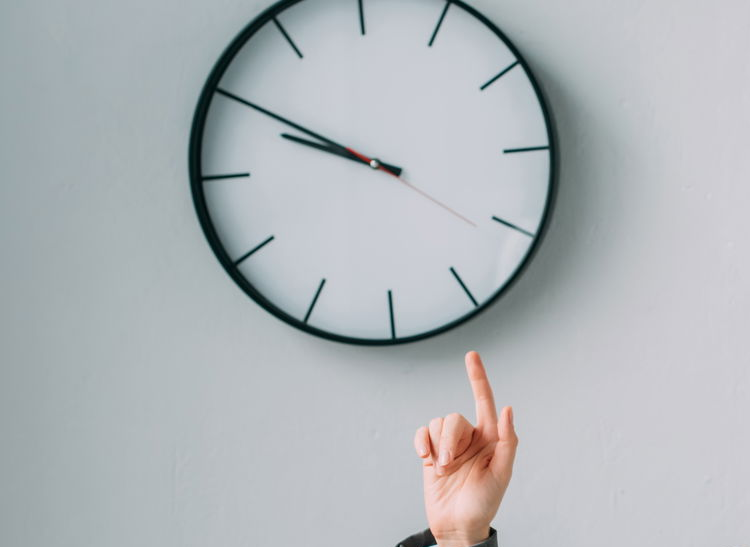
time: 9:50
